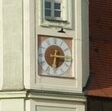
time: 6:15
